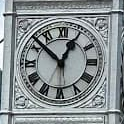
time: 12:52
